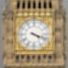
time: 4:18
